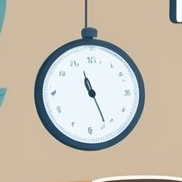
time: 11:25
